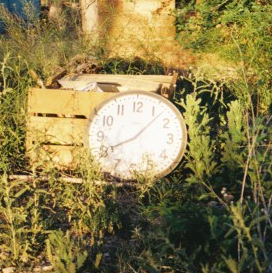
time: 8:07
